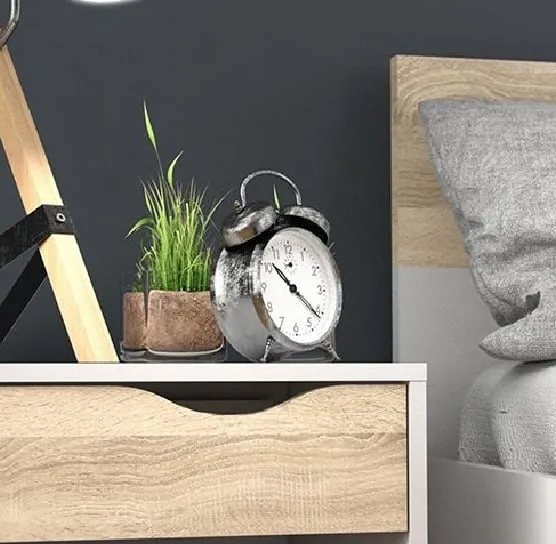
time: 10:21
